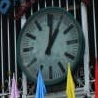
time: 1:01
